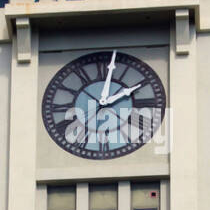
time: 2:02
